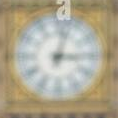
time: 3:02
